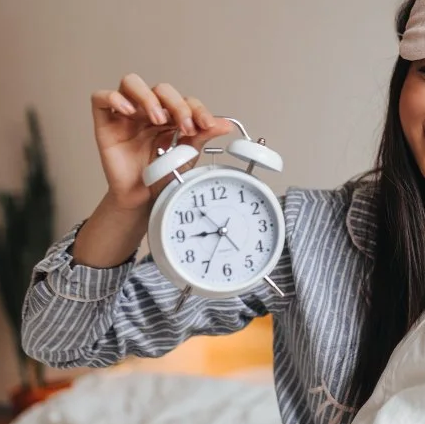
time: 8:53
